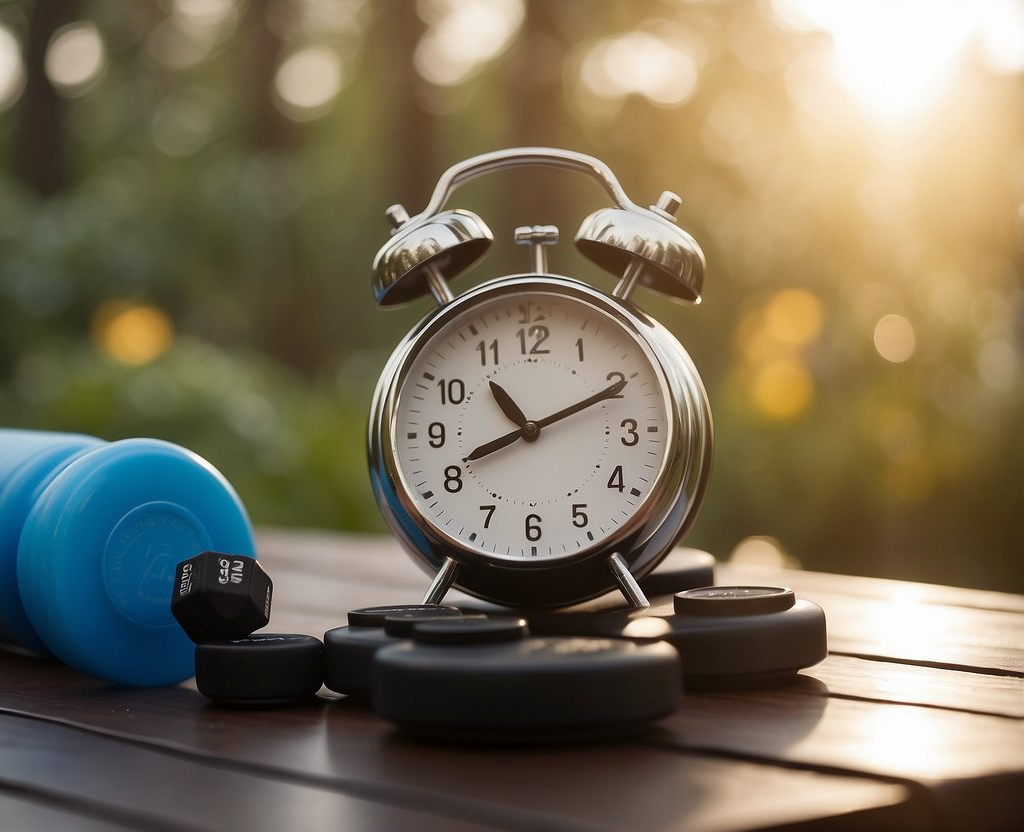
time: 10:41
